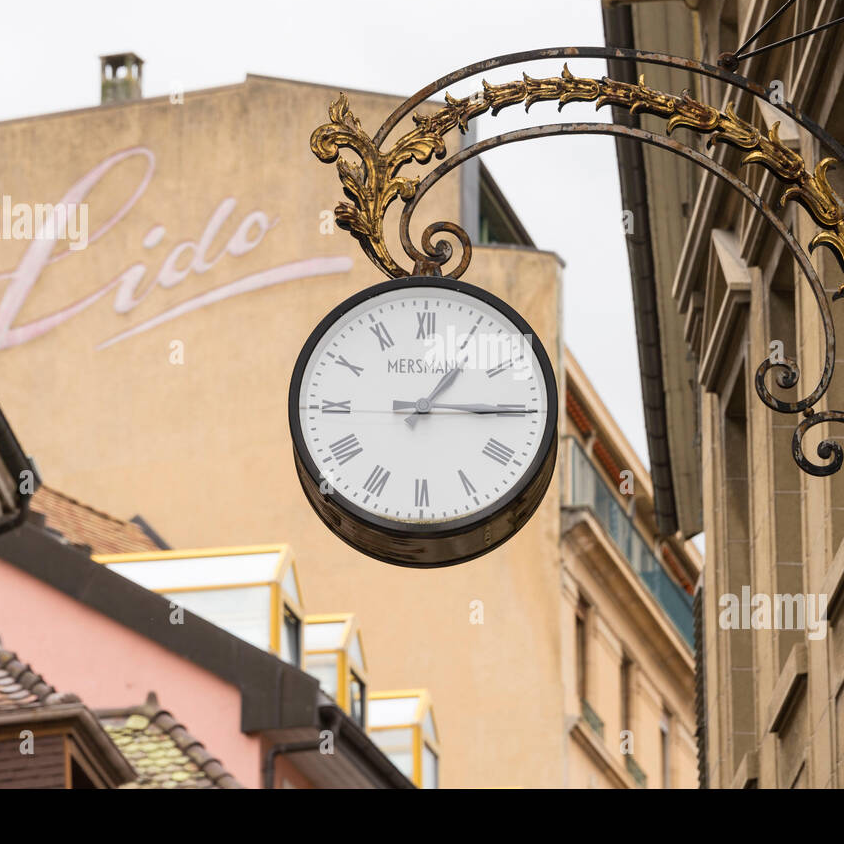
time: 1:14
